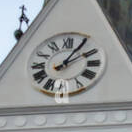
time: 1:09
